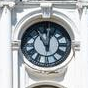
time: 11:02
